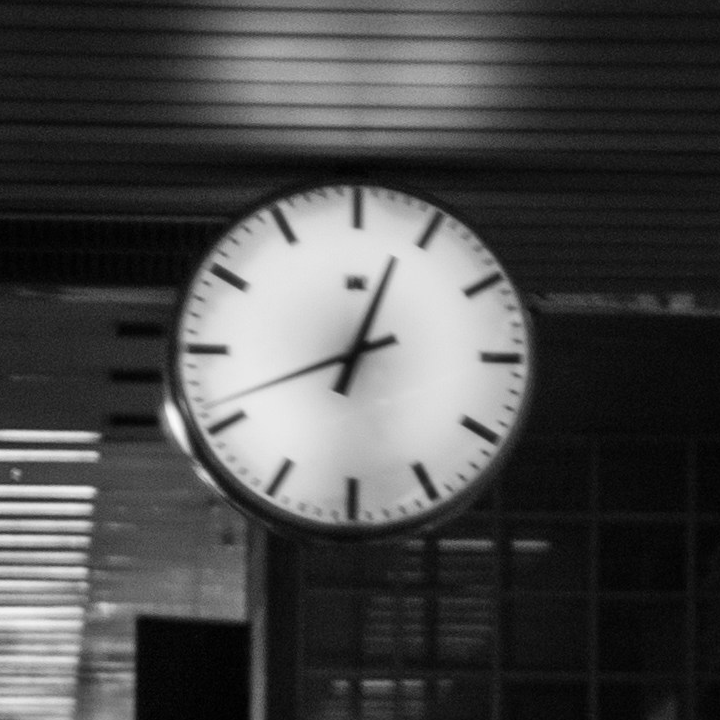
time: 12:41
